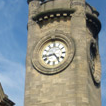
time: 4:42
